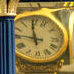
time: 11:46
